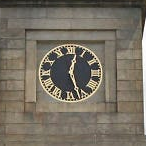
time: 12:26
